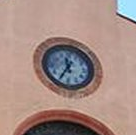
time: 11:35
